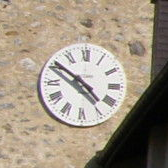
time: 4:50
